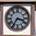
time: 3:35
